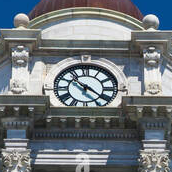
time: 10:21
